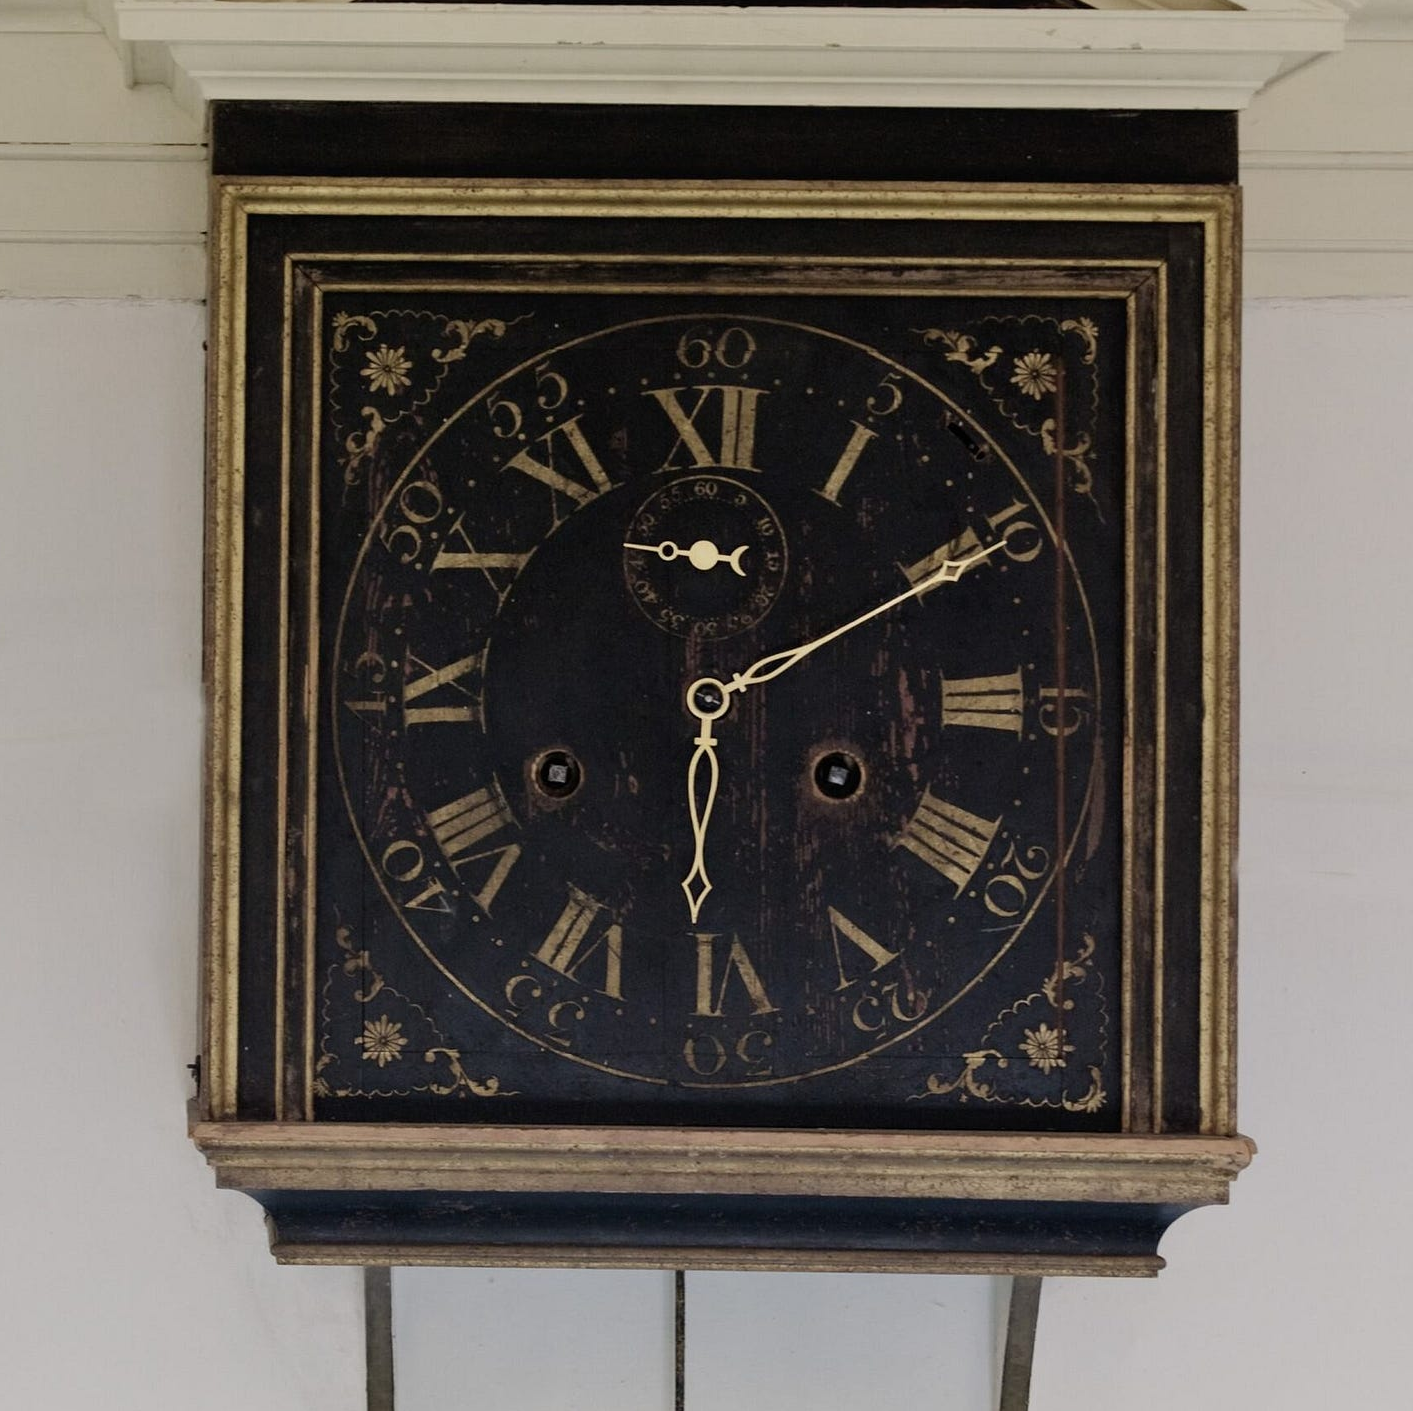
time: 6:10
